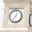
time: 12:36
